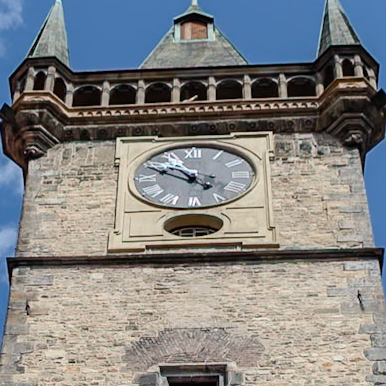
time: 10:50
